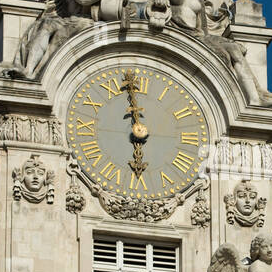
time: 5:58
